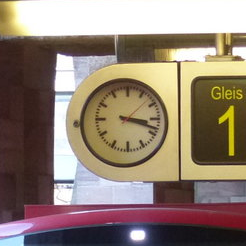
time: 3:18
